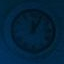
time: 12:05
